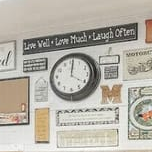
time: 4:00
